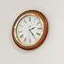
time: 2:24
